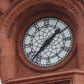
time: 1:37
